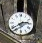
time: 2:38
